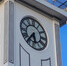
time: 5:36
